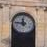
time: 11:46
